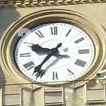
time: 9:36
